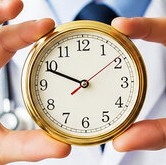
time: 9:48
